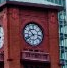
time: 10:39
